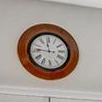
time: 11:46
